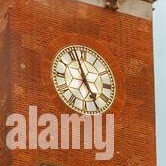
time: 4:56
